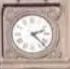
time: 2:22
